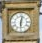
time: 6:02
